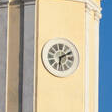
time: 6:10
